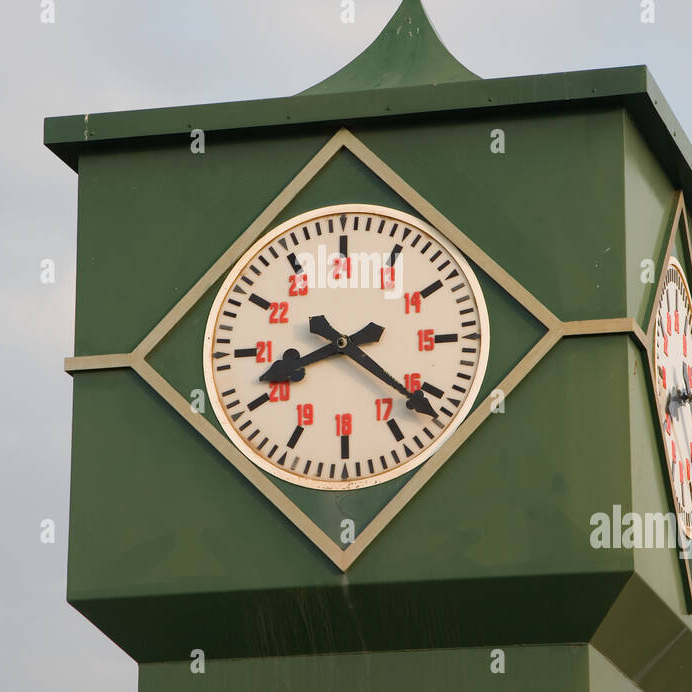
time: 8:21
